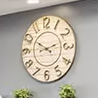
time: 8:50
